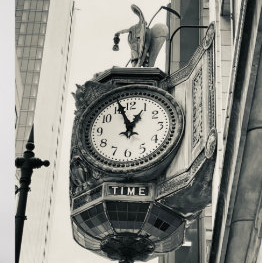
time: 12:56
